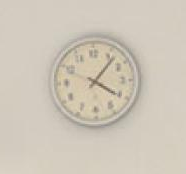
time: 4:06
